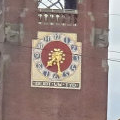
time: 7:28
